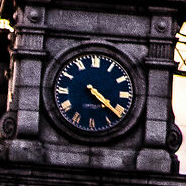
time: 4:21
